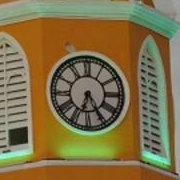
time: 6:24
